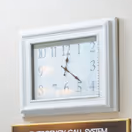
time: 12:22
